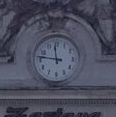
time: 11:46
